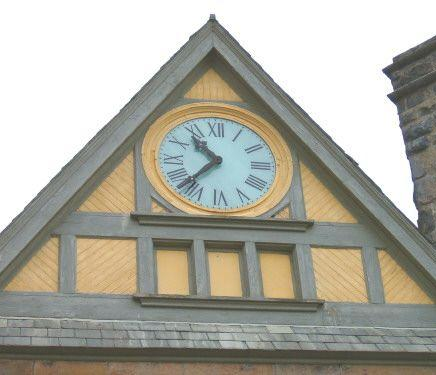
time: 10:37
